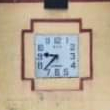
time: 9:37
